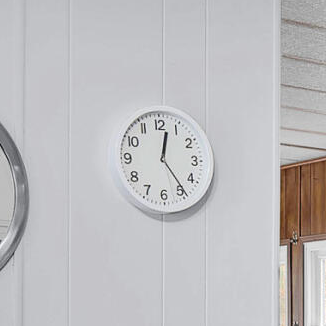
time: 12:24
